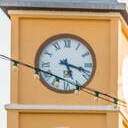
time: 5:17
